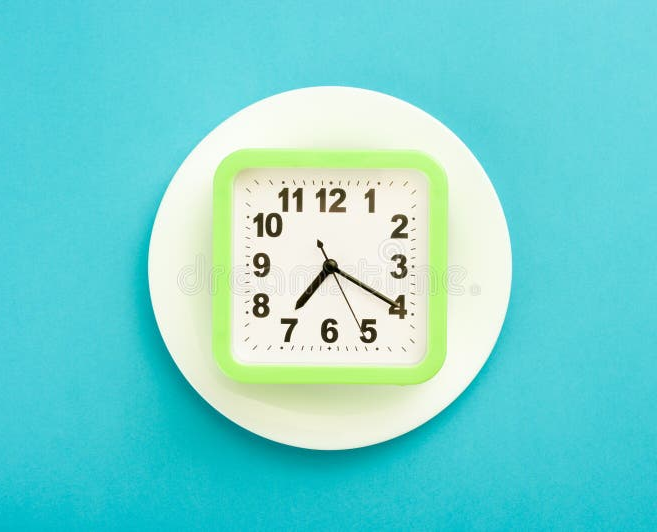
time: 7:19
